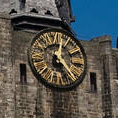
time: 12:24
